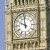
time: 9:58
